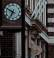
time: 6:49
